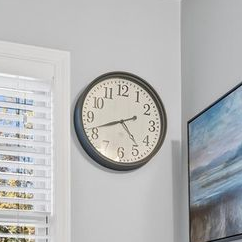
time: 4:41
